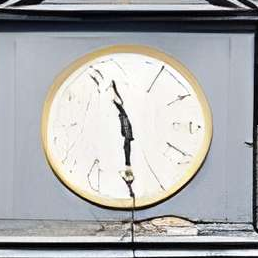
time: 5:57
